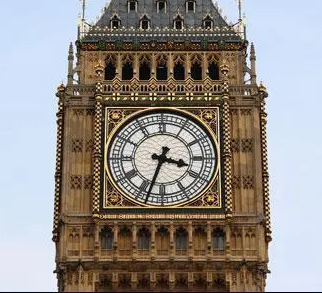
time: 3:33
